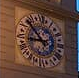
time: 8:52
